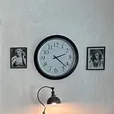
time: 2:22
